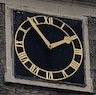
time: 1:54
